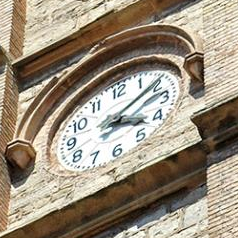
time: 4:09
